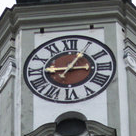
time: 9:05
